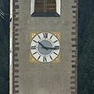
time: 10:15
